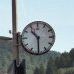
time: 10:29
